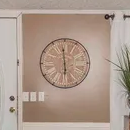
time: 5:59
